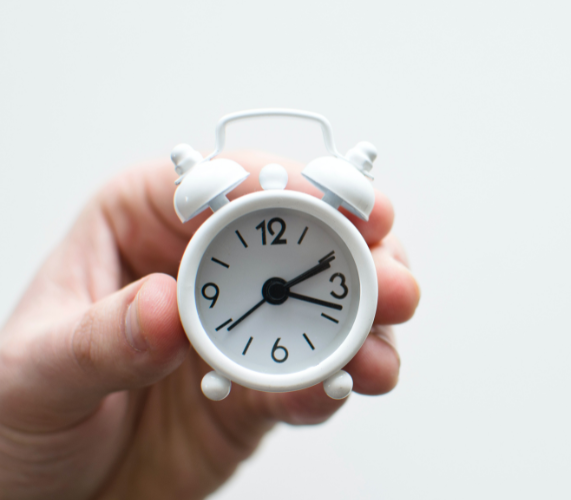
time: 2:18
